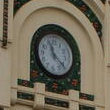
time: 11:21
